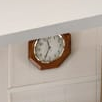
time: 11:33
